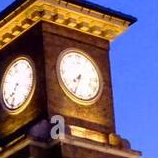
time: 7:33
